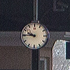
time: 9:45
